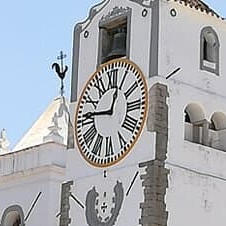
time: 12:46
